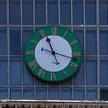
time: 11:17
